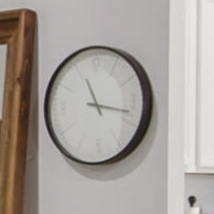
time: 11:17
